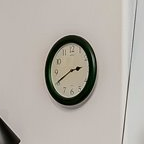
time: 2:40
